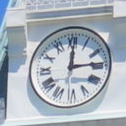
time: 12:14
